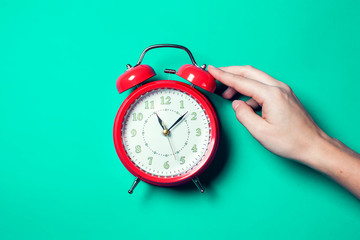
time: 11:07
